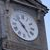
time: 4:52
